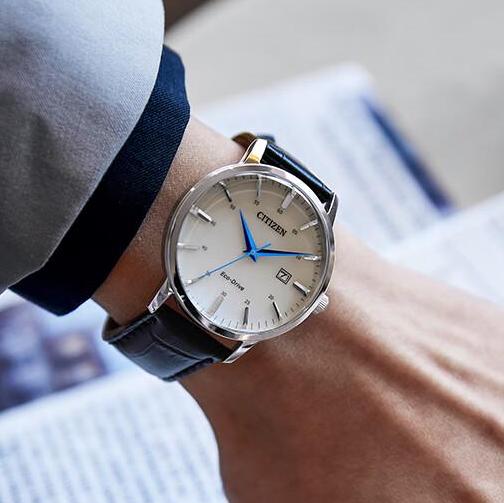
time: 11:14
